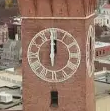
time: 11:59
